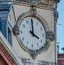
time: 3:59
